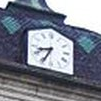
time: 8:34
